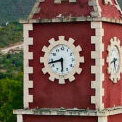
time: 5:42
